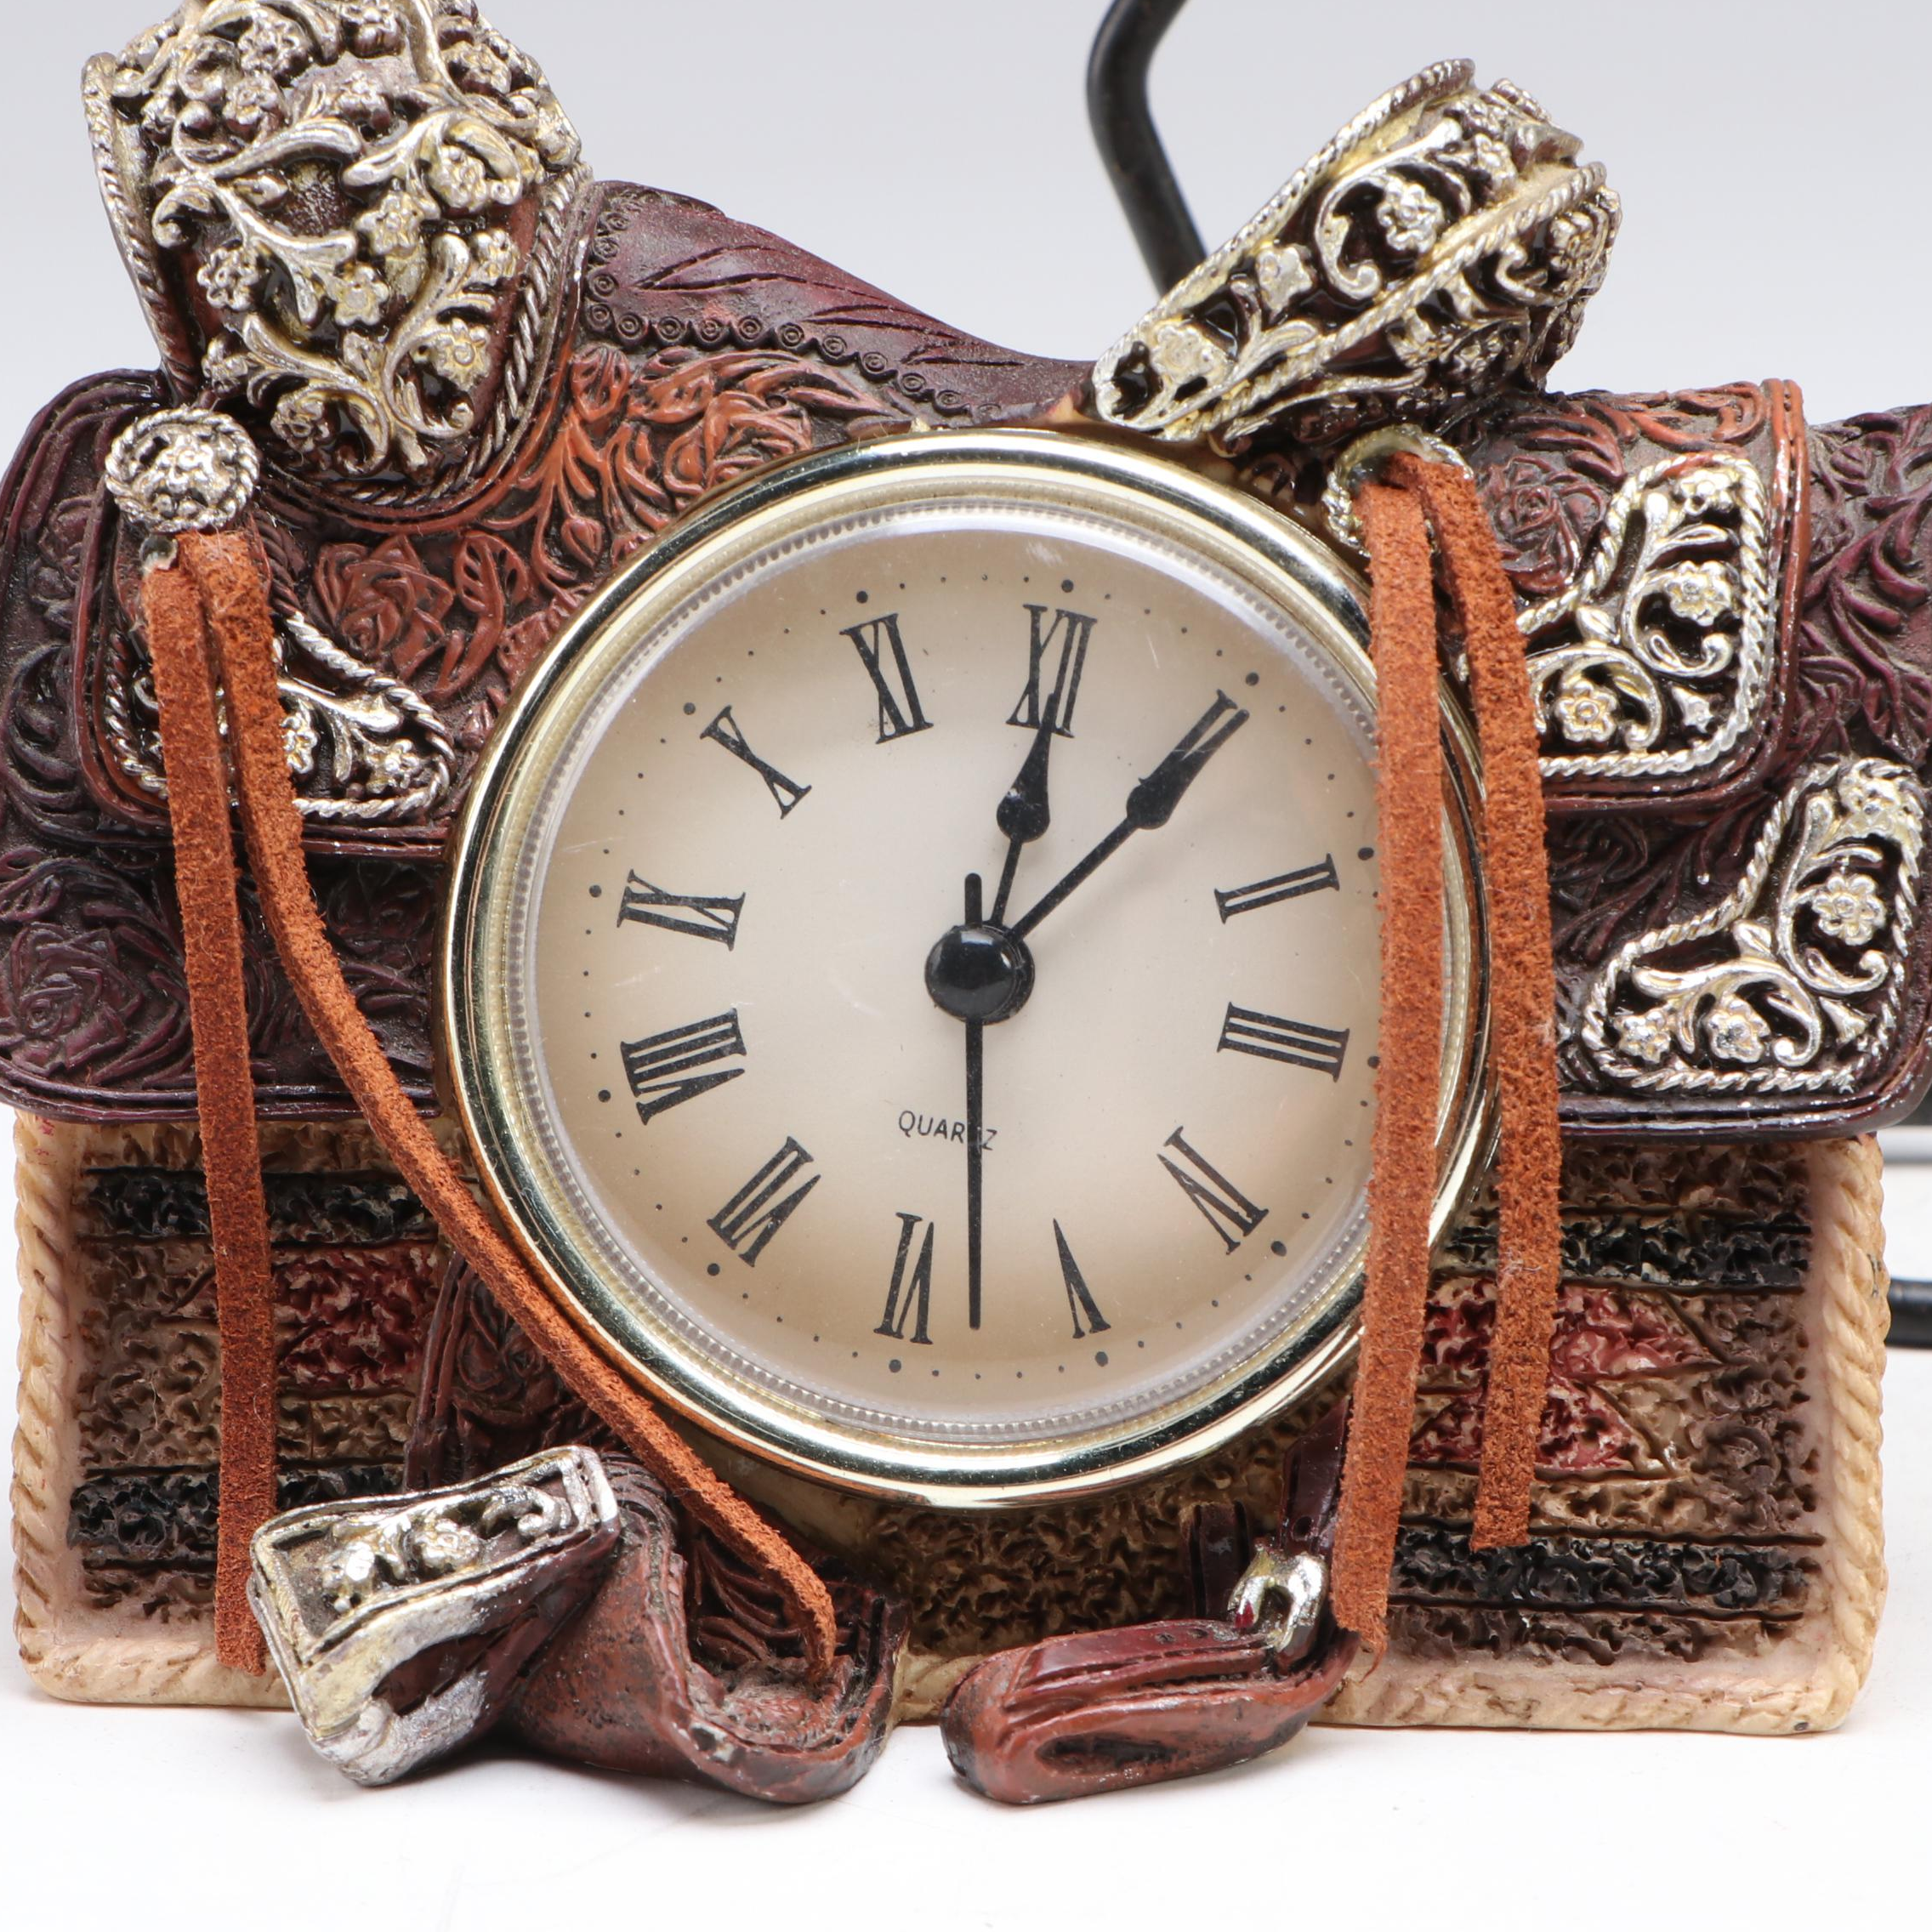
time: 12:05
